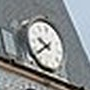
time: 9:38
